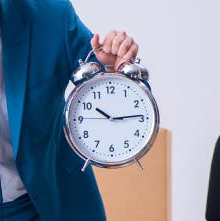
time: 10:14
